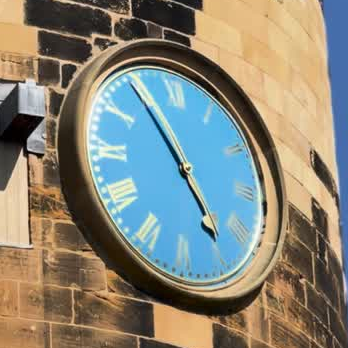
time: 4:54
